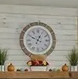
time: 12:49
